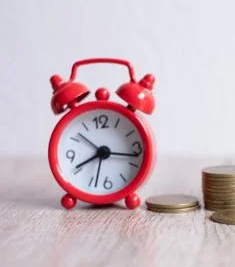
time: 8:16
